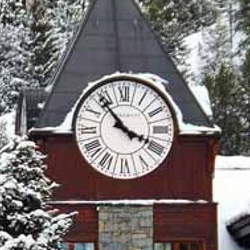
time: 3:53
